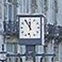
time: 11:55
